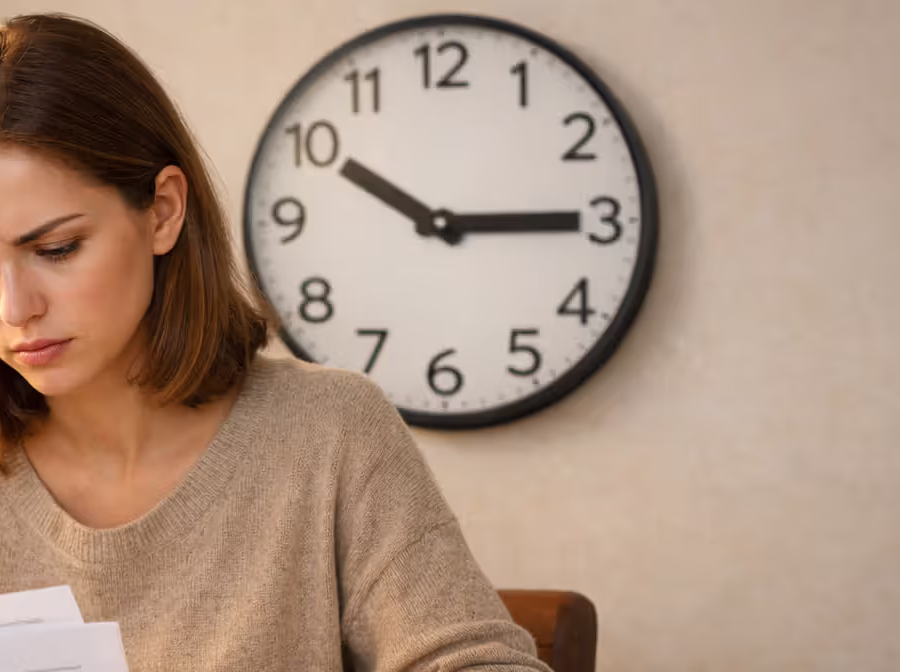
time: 10:14
